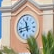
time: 11:42
